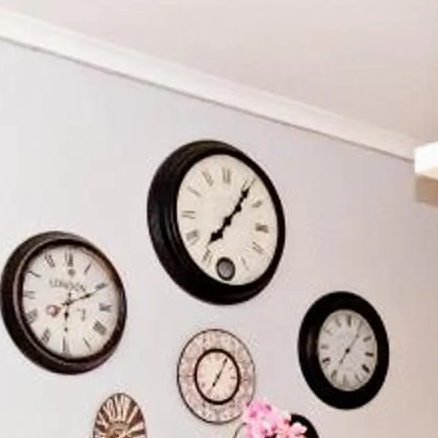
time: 7:06
